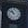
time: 10:51
